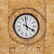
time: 3:58
